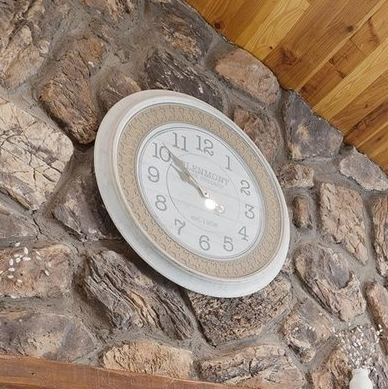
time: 9:51
